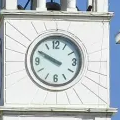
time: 9:49
